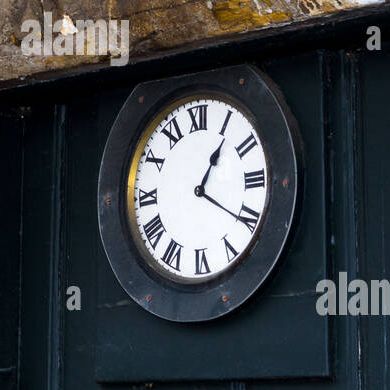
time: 1:20
